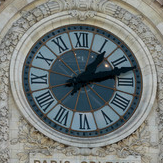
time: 1:12
